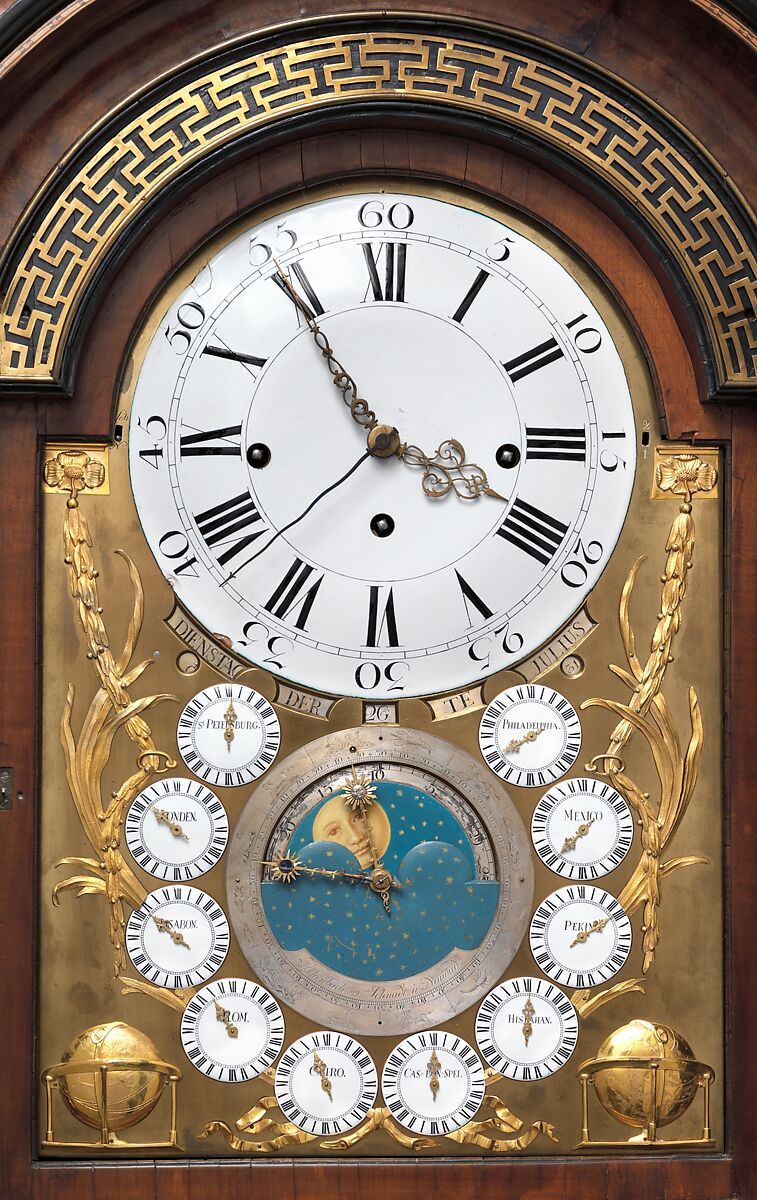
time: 3:54
